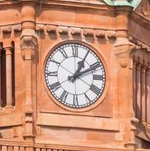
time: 1:10
